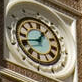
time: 12:41
